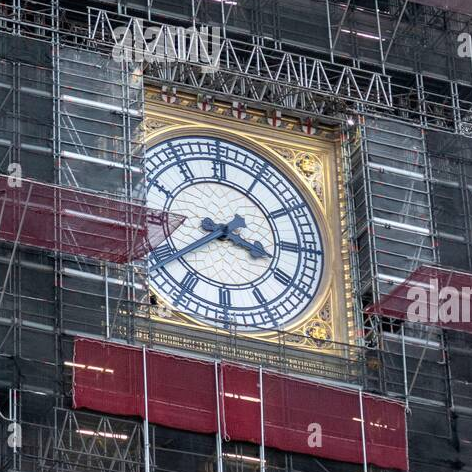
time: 3:39
